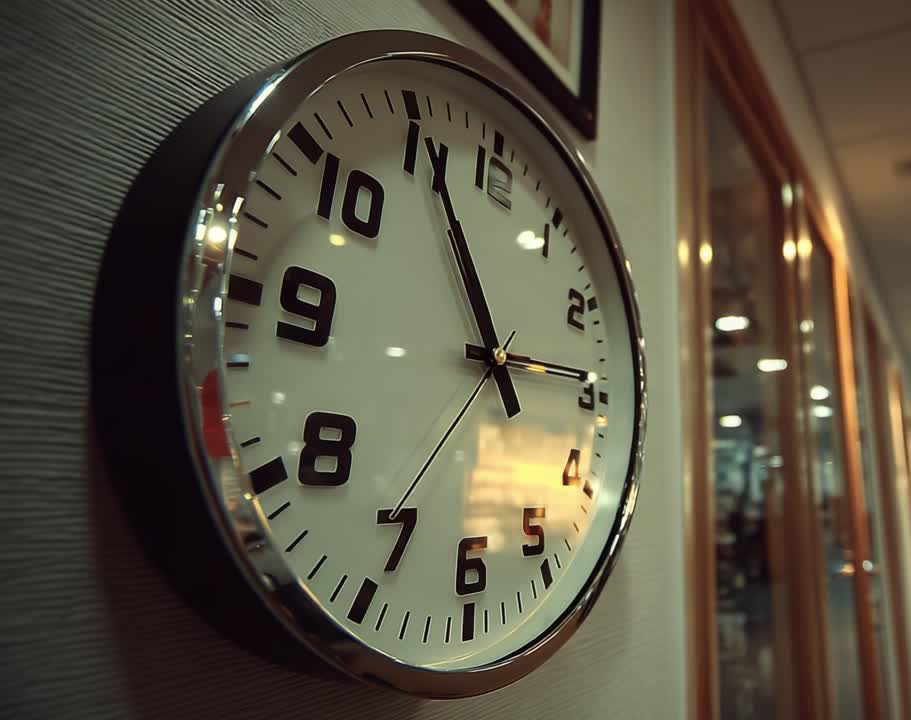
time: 2:54
